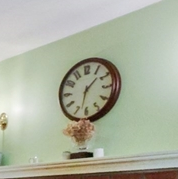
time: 1:32
